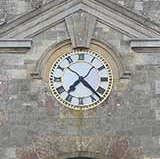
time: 7:22
